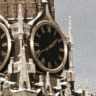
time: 1:40
